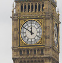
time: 11:50
